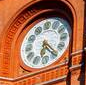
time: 6:23
